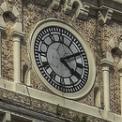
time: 4:09
